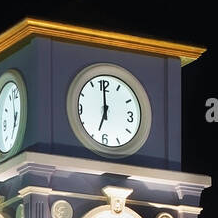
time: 6:59
